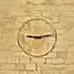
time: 9:13
